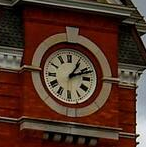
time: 1:11
